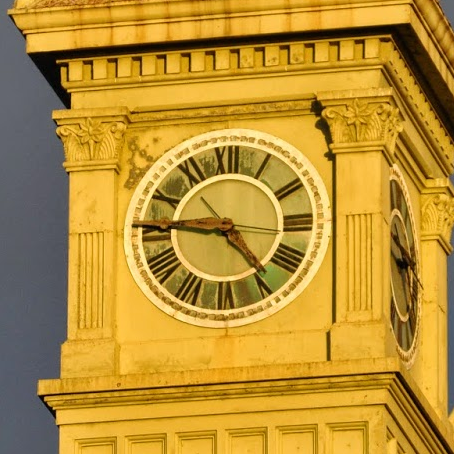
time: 4:45
